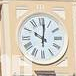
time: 10:00
